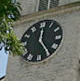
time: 12:24
